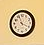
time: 3:56
